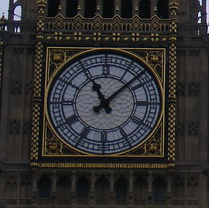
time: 11:07
